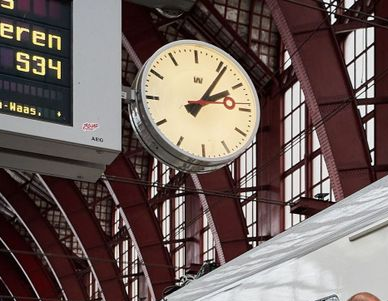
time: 2:06
